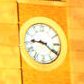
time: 9:20
